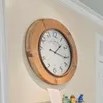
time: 1:16
